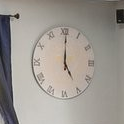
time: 5:00
